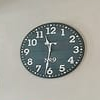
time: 11:31
